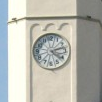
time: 4:12
